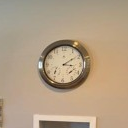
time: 3:09
